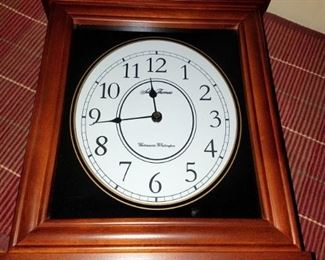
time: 11:43
